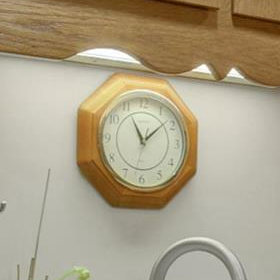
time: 11:08
